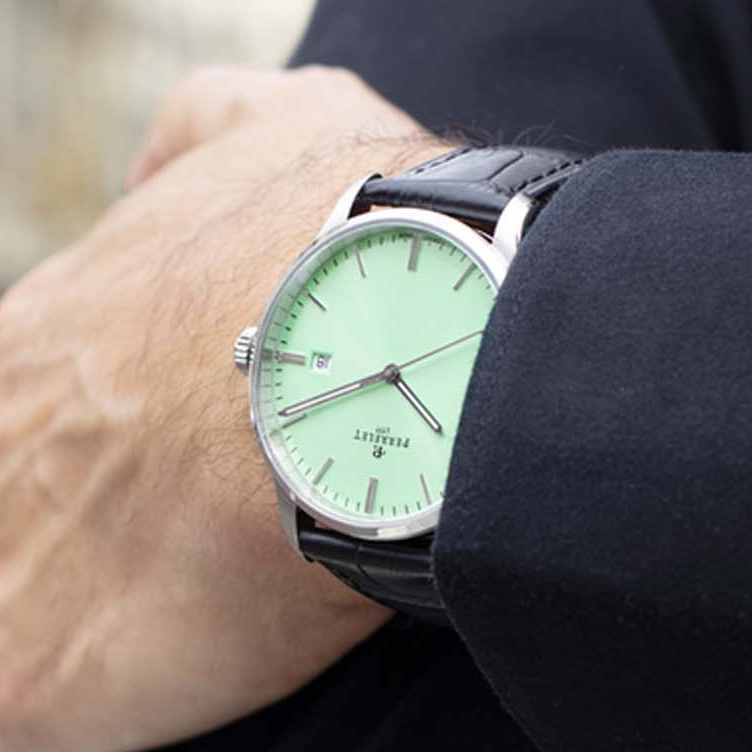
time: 8:20
